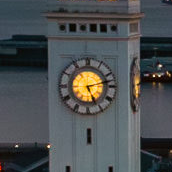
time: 5:12
